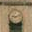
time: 9:12
